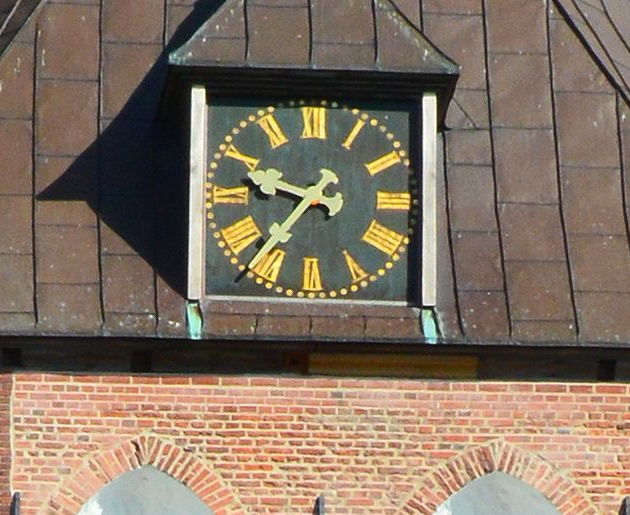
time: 9:37
